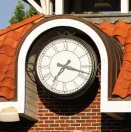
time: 7:17
